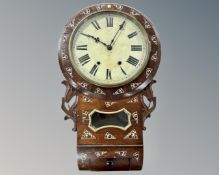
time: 10:04
